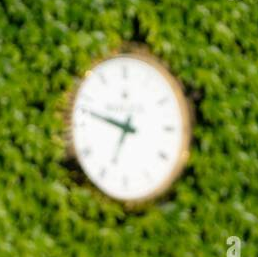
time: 6:47
